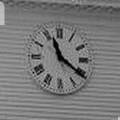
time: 11:21
